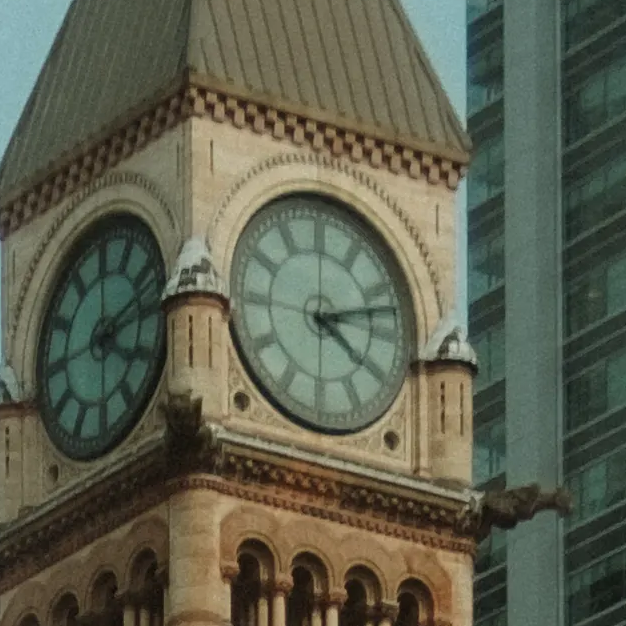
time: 4:12
